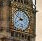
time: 3:40
